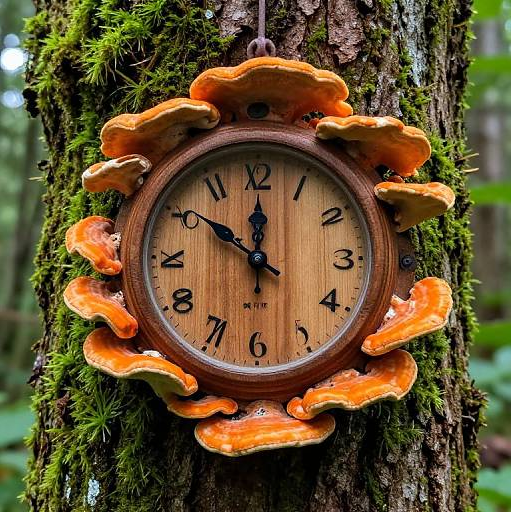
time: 10:00
